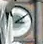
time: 3:09
